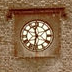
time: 11:32
